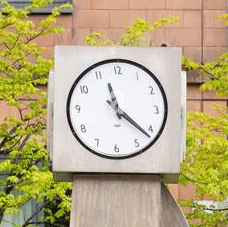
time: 11:21
